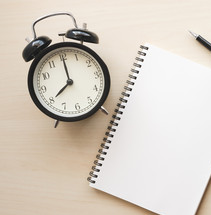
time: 8:00
